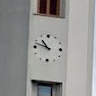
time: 10:48
